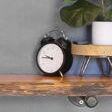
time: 9:45
